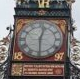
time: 12:29
